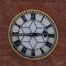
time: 2:44
